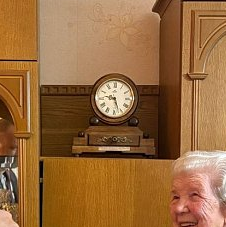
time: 9:25
